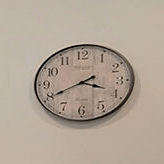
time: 3:40
